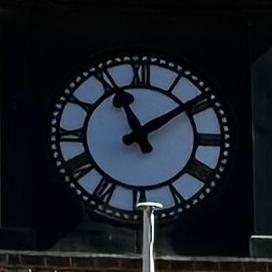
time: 11:09
